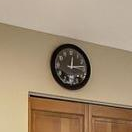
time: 12:13
